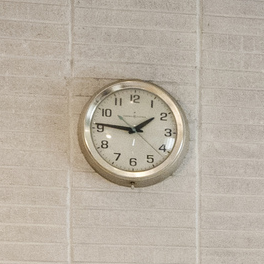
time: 1:46
